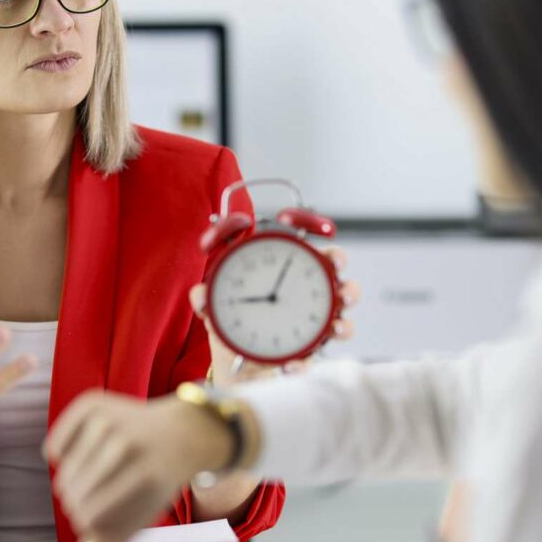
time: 9:04
